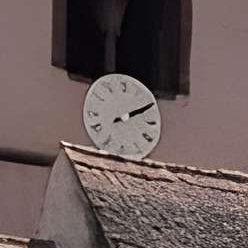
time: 2:10
